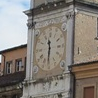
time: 11:31
